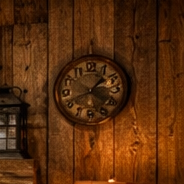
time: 1:41
